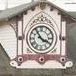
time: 3:54
